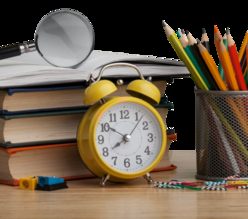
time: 7:50
